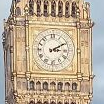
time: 3:10
